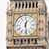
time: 12:28
